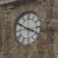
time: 3:50
